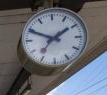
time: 1:49
